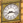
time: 8:17
